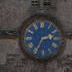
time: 2:34
